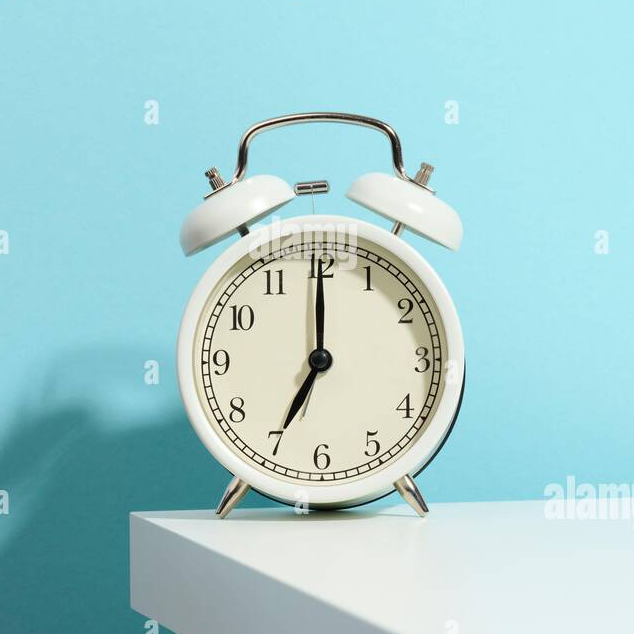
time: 7:00
